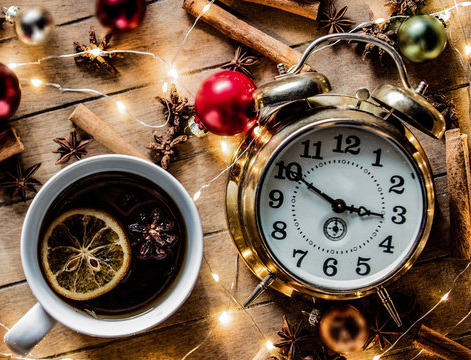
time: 2:50
